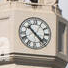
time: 10:22
